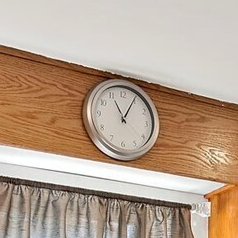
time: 11:04
